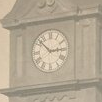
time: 2:52
